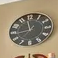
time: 11:42
